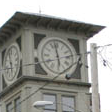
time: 5:58
